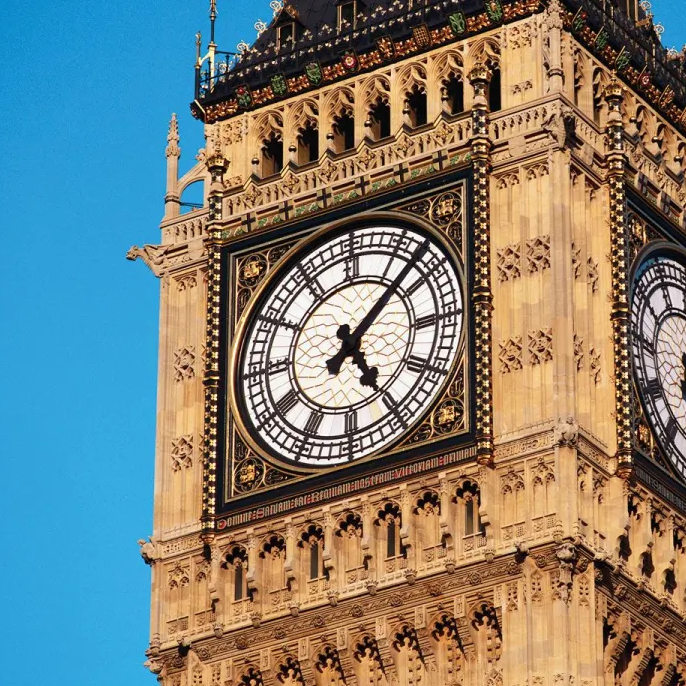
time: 5:07
